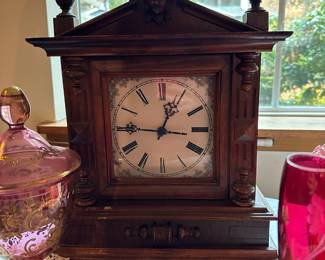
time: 12:45
